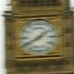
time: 1:39
